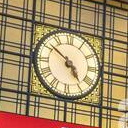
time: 4:51
